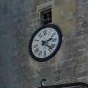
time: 2:21
